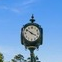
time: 3:51
